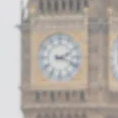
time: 2:18
